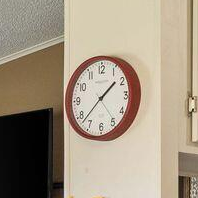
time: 1:37
